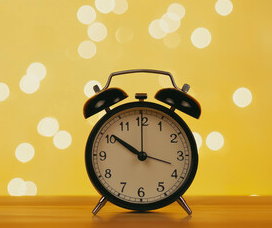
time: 10:00
